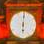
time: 6:00
